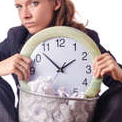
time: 1:52
